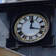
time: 12:17
